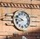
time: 9:42
